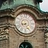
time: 8:24
